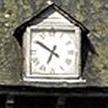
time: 6:50
